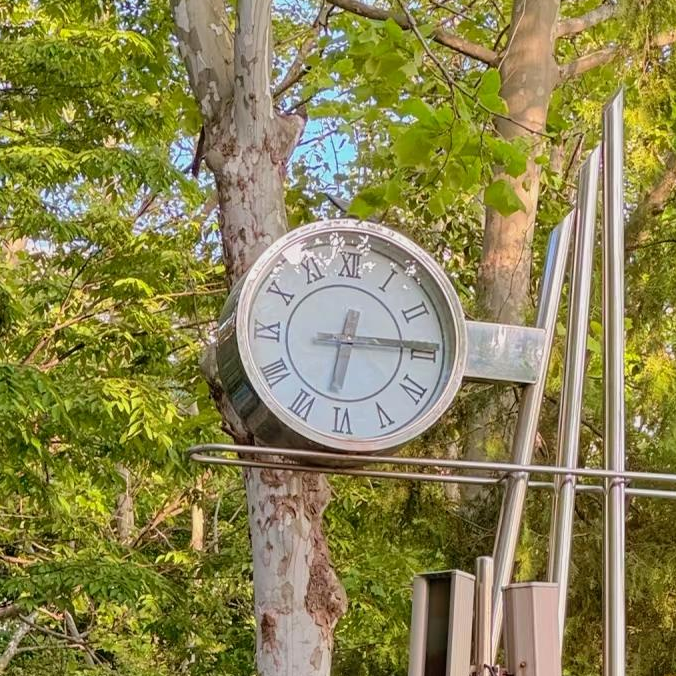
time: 6:14
